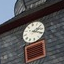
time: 2:18
